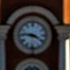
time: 3:46
